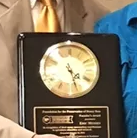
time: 4:26
